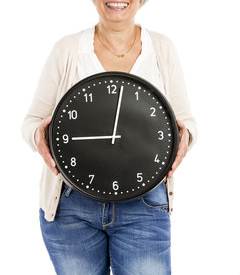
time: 9:01
